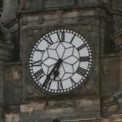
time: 6:36
